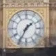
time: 1:34
